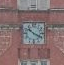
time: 10:20
